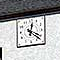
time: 12:21
